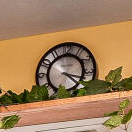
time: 4:17
